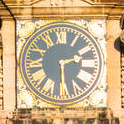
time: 2:29
